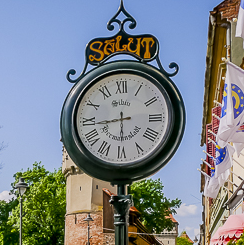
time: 5:43
